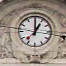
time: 1:00
